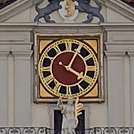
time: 4:04
